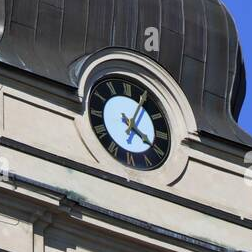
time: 4:04
